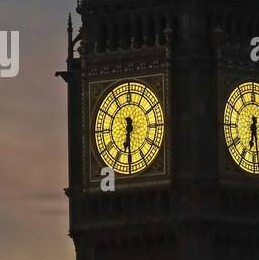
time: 6:29
